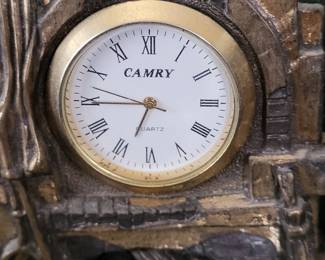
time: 6:44
